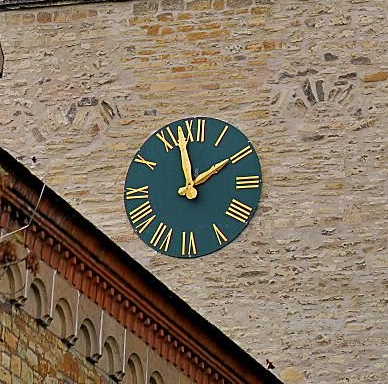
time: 1:57
